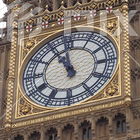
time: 10:58
